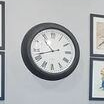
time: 10:42
